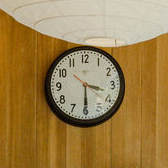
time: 3:29
